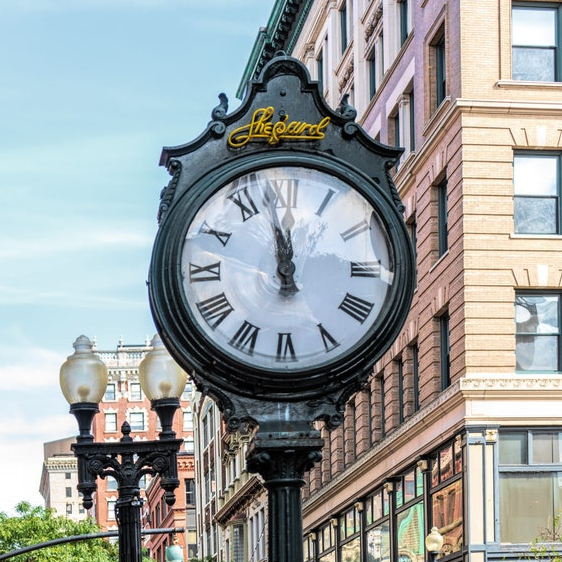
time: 11:57
